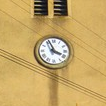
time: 3:56
